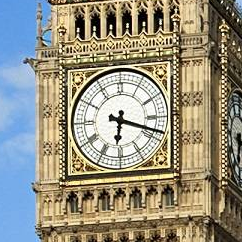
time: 6:18
